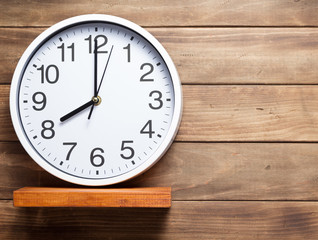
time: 8:00
